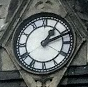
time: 1:11
